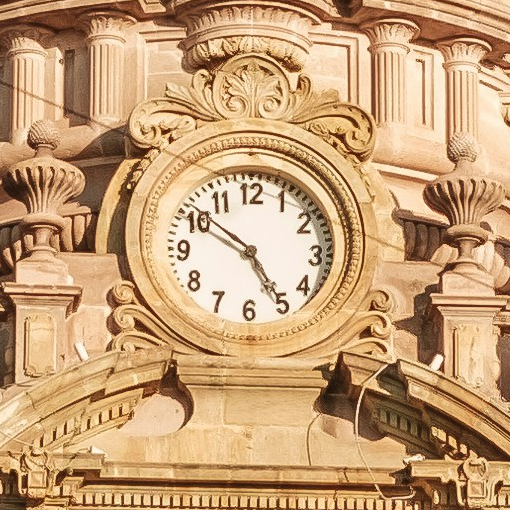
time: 4:50
